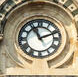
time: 11:11
